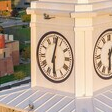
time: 6:02
